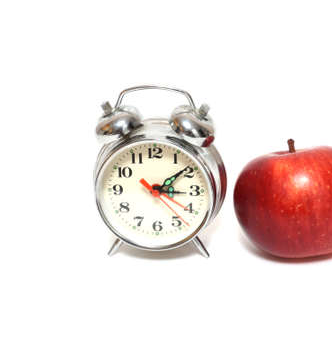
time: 3:09
